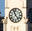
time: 11:23
